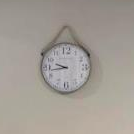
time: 9:43
